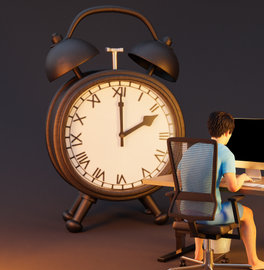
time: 2:01
